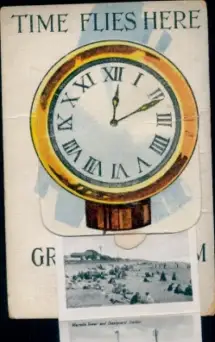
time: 12:11
